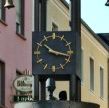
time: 10:17
